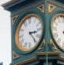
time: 3:23
